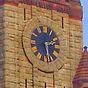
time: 2:29
